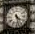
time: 4:27
